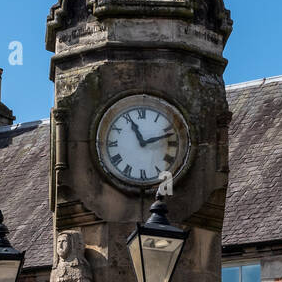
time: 11:12
